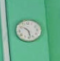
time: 10:28
